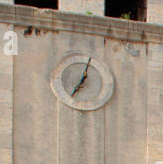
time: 7:03
